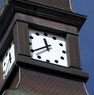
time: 11:39
